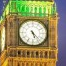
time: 5:22
